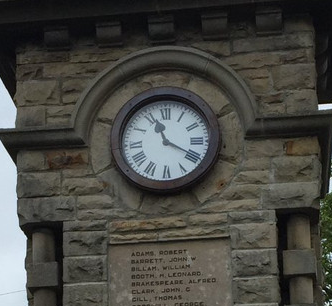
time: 11:19
